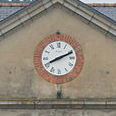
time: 8:11
